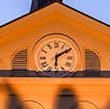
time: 6:09
